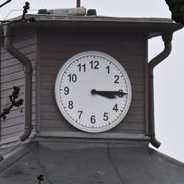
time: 3:14
